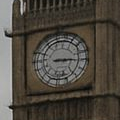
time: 3:16
